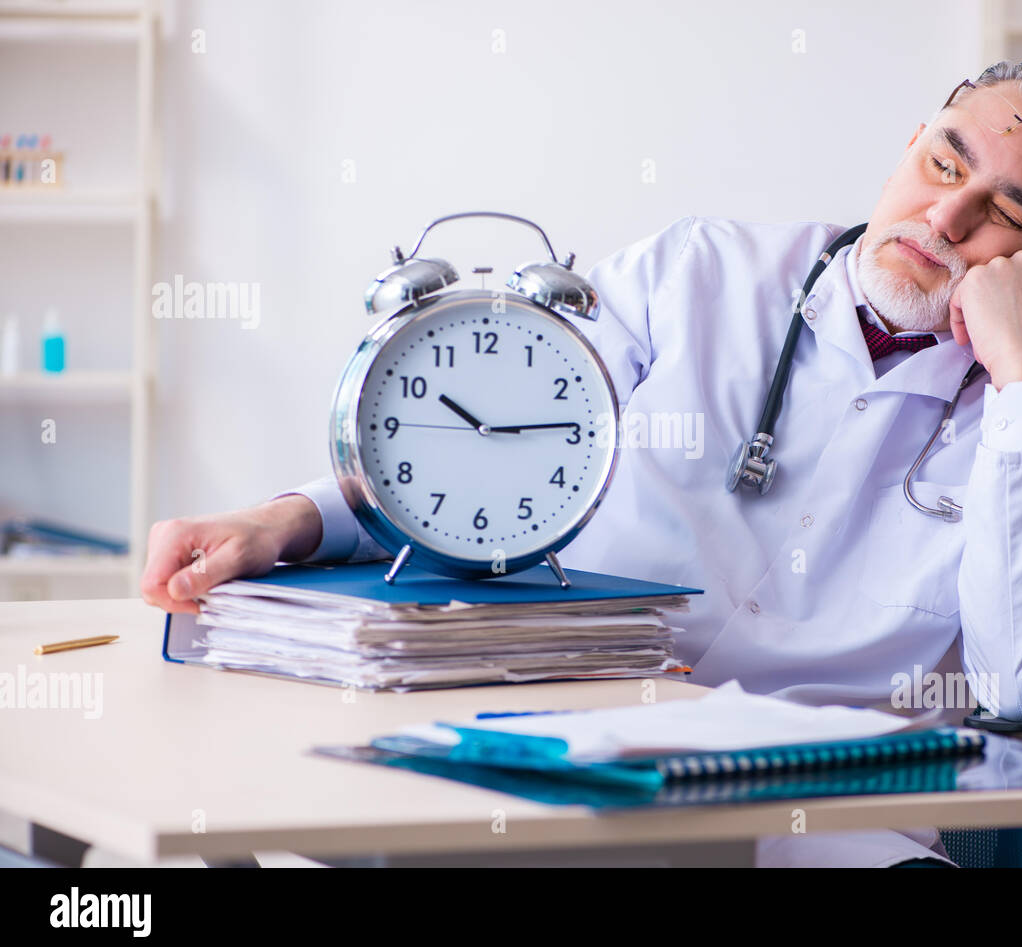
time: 10:14
